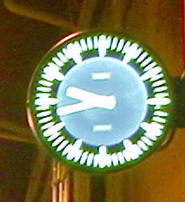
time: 9:42
